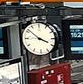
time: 3:51
